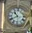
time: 10:40
